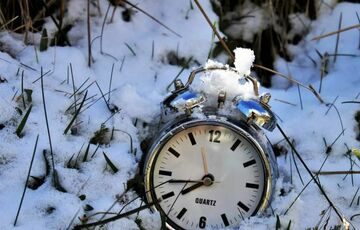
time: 7:43
